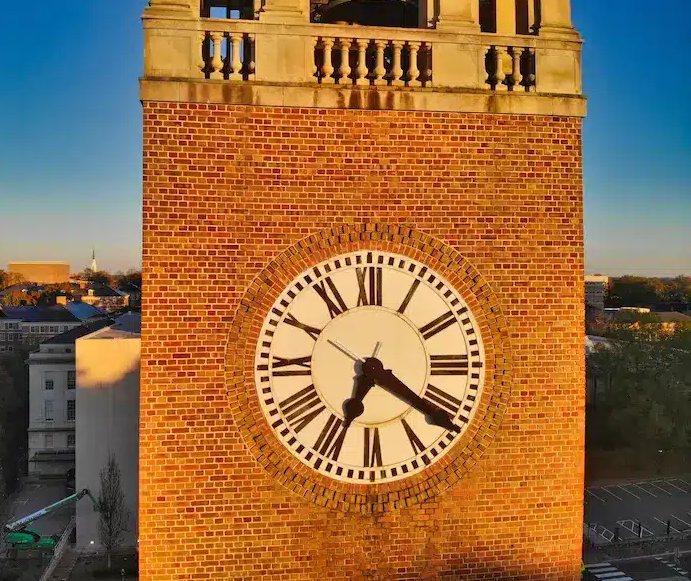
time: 6:20
